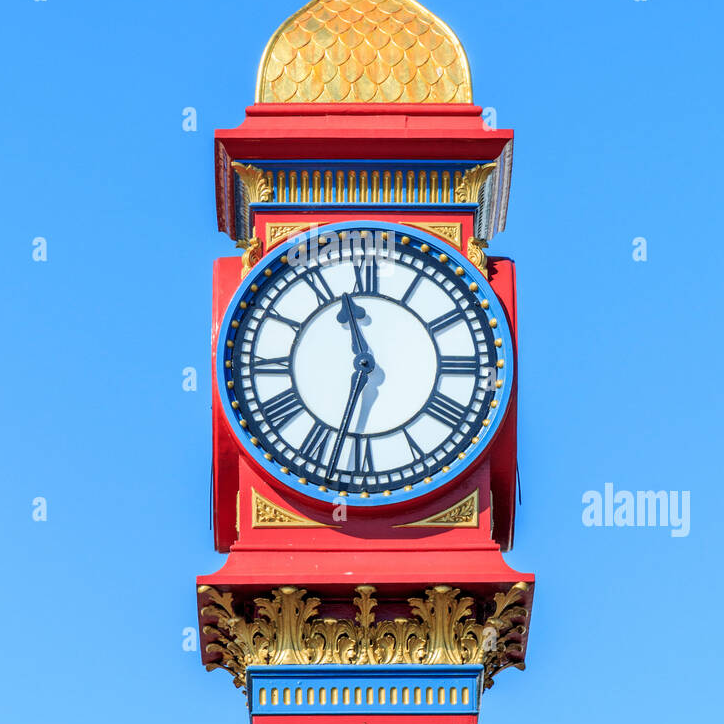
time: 11:32
